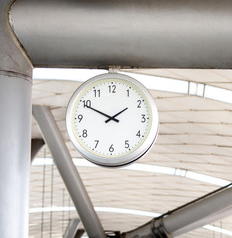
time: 1:49
